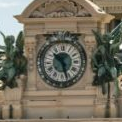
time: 10:27
